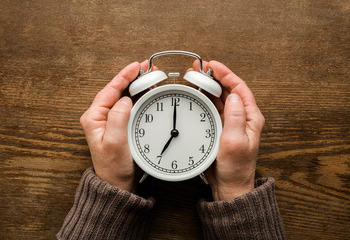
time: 7:00
